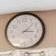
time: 3:07
